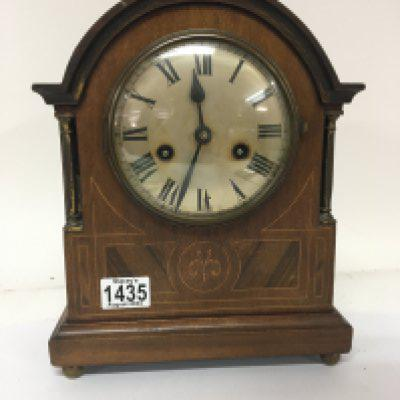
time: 11:33
